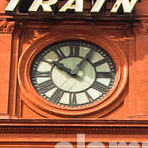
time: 10:05
